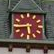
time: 5:44
